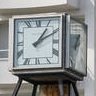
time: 1:10
